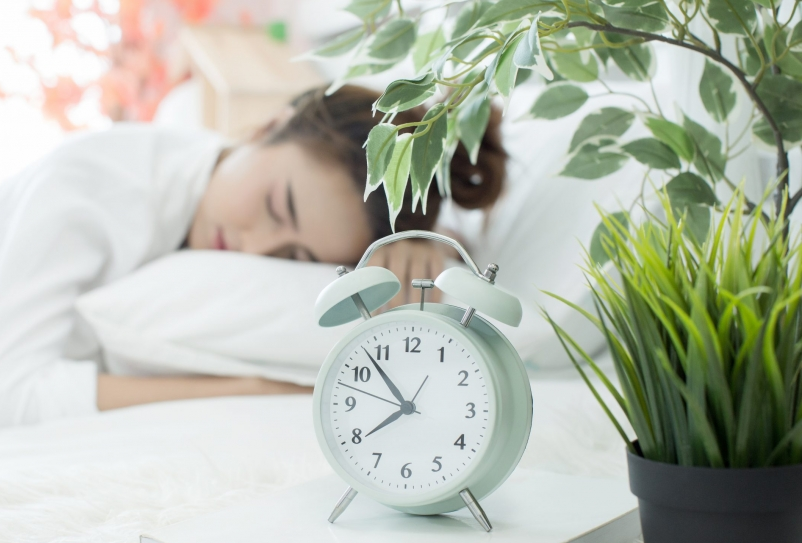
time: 7:52
